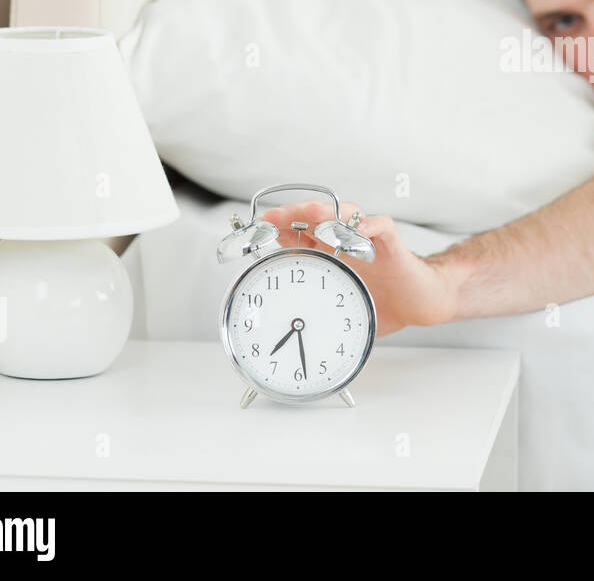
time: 7:28
